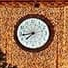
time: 7:43
